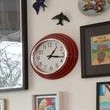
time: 1:16
